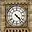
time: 4:22
